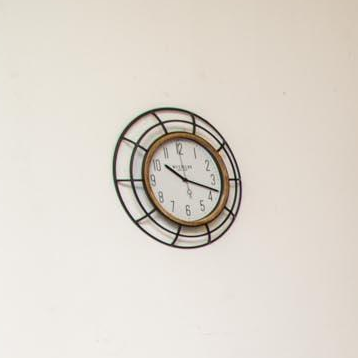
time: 10:17
